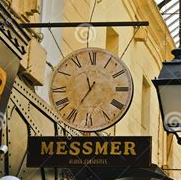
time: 11:35
